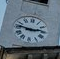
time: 2:46
